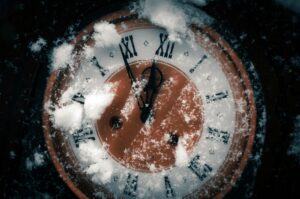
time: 11:54
